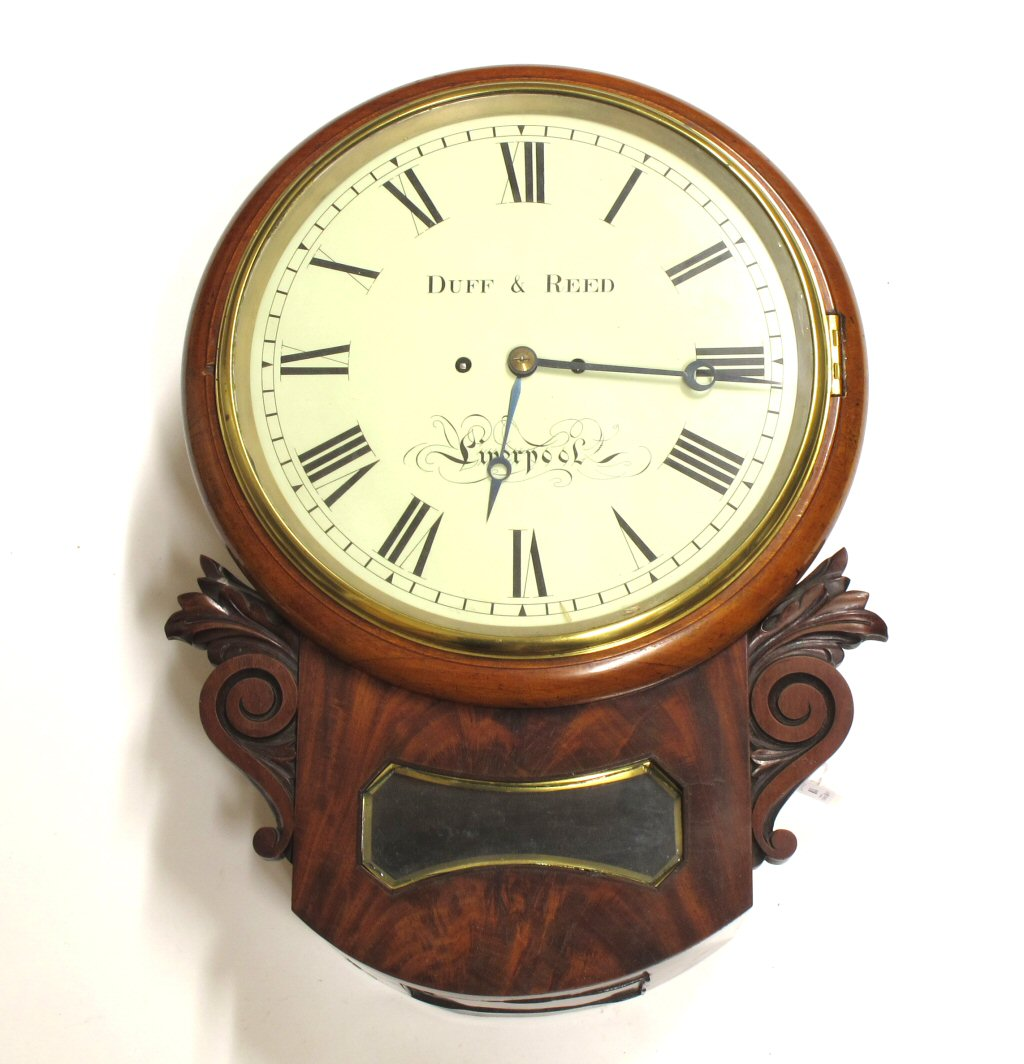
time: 6:15
